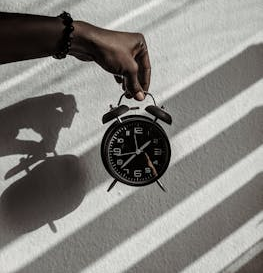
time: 1:37
